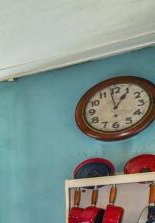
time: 12:58
